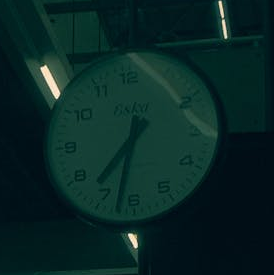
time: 7:32
